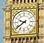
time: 9:39
